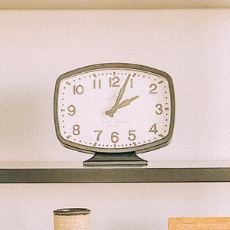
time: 2:03
